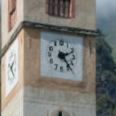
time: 2:23
